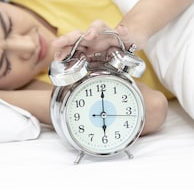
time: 6:00
